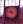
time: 10:47
